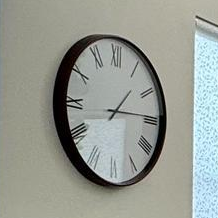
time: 1:14
